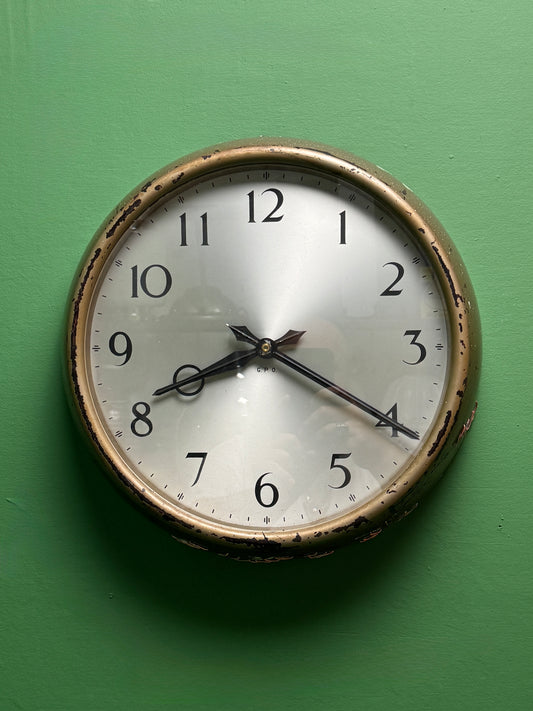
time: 8:20
